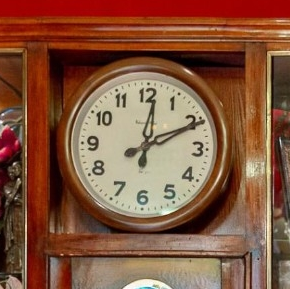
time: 12:10
